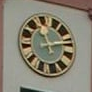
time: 11:12
